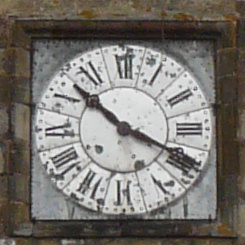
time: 10:19
